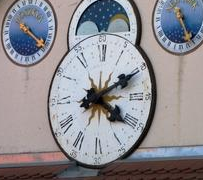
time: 4:10
